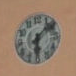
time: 6:08
